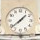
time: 1:38
